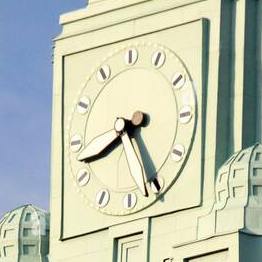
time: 8:25
